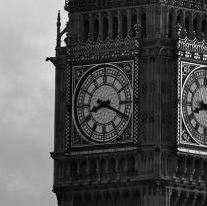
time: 8:19
